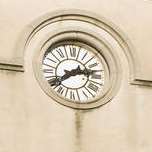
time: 2:39
